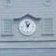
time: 12:57
